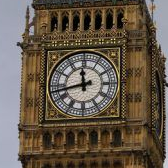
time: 11:42
